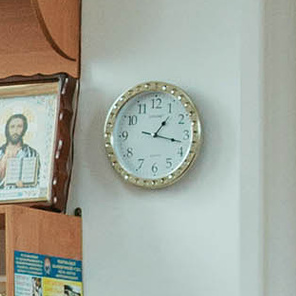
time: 1:17
